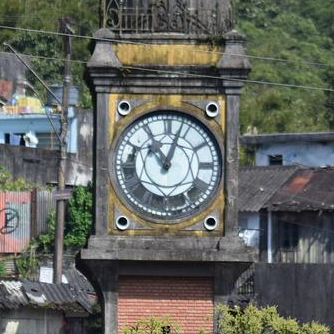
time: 11:03
